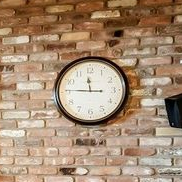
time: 11:45
